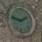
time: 1:47
